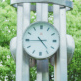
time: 4:44
